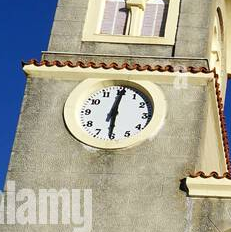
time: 6:00
